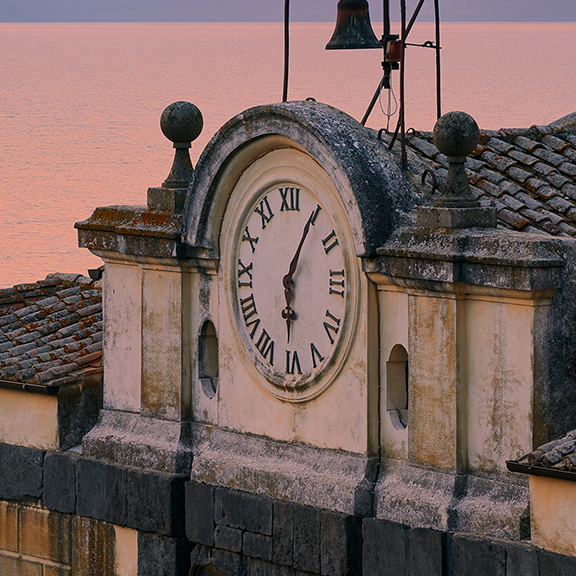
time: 6:05
